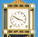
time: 3:50
